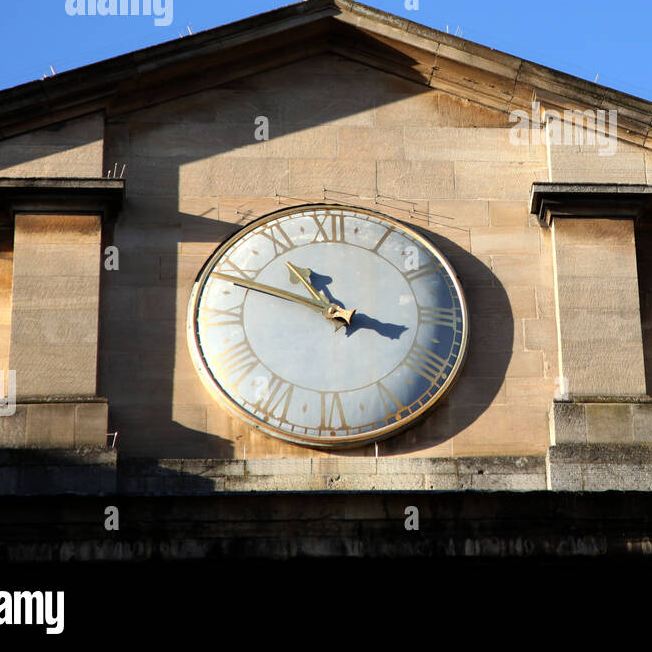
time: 10:48
